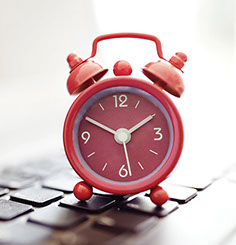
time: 1:50
